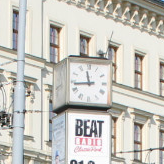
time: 11:43
